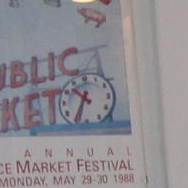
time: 10:34
